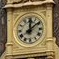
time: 12:09
